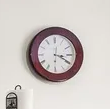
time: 3:19
